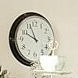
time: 9:56
